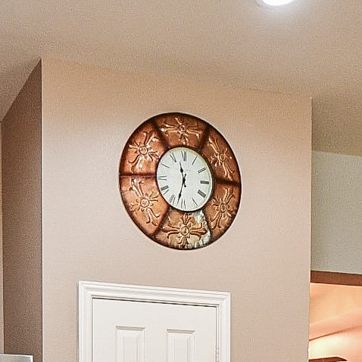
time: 11:33
